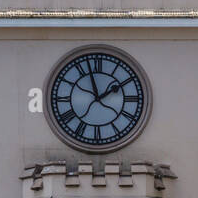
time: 1:57
